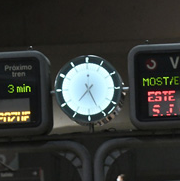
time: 7:25
